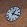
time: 1:18
